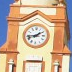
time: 1:43
